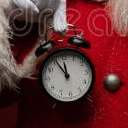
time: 11:55
